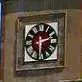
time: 2:30
